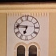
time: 6:46
